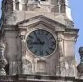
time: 10:43
